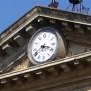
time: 3:40
